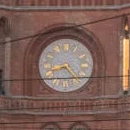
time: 8:23
